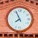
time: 7:55
